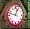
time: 12:47
